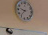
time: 9:36
